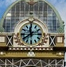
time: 11:38
